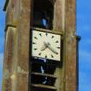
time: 7:20
